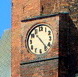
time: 10:23
